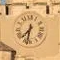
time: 7:32
